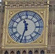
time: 11:32
